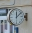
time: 12:07
